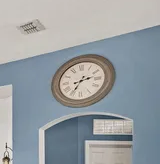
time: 2:35
